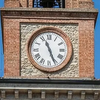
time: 11:26
